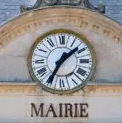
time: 1:34
